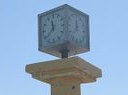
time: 11:37
